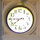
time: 8:39
